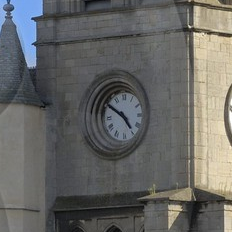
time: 4:50
